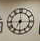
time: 7:00
